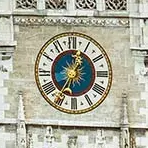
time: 12:35
